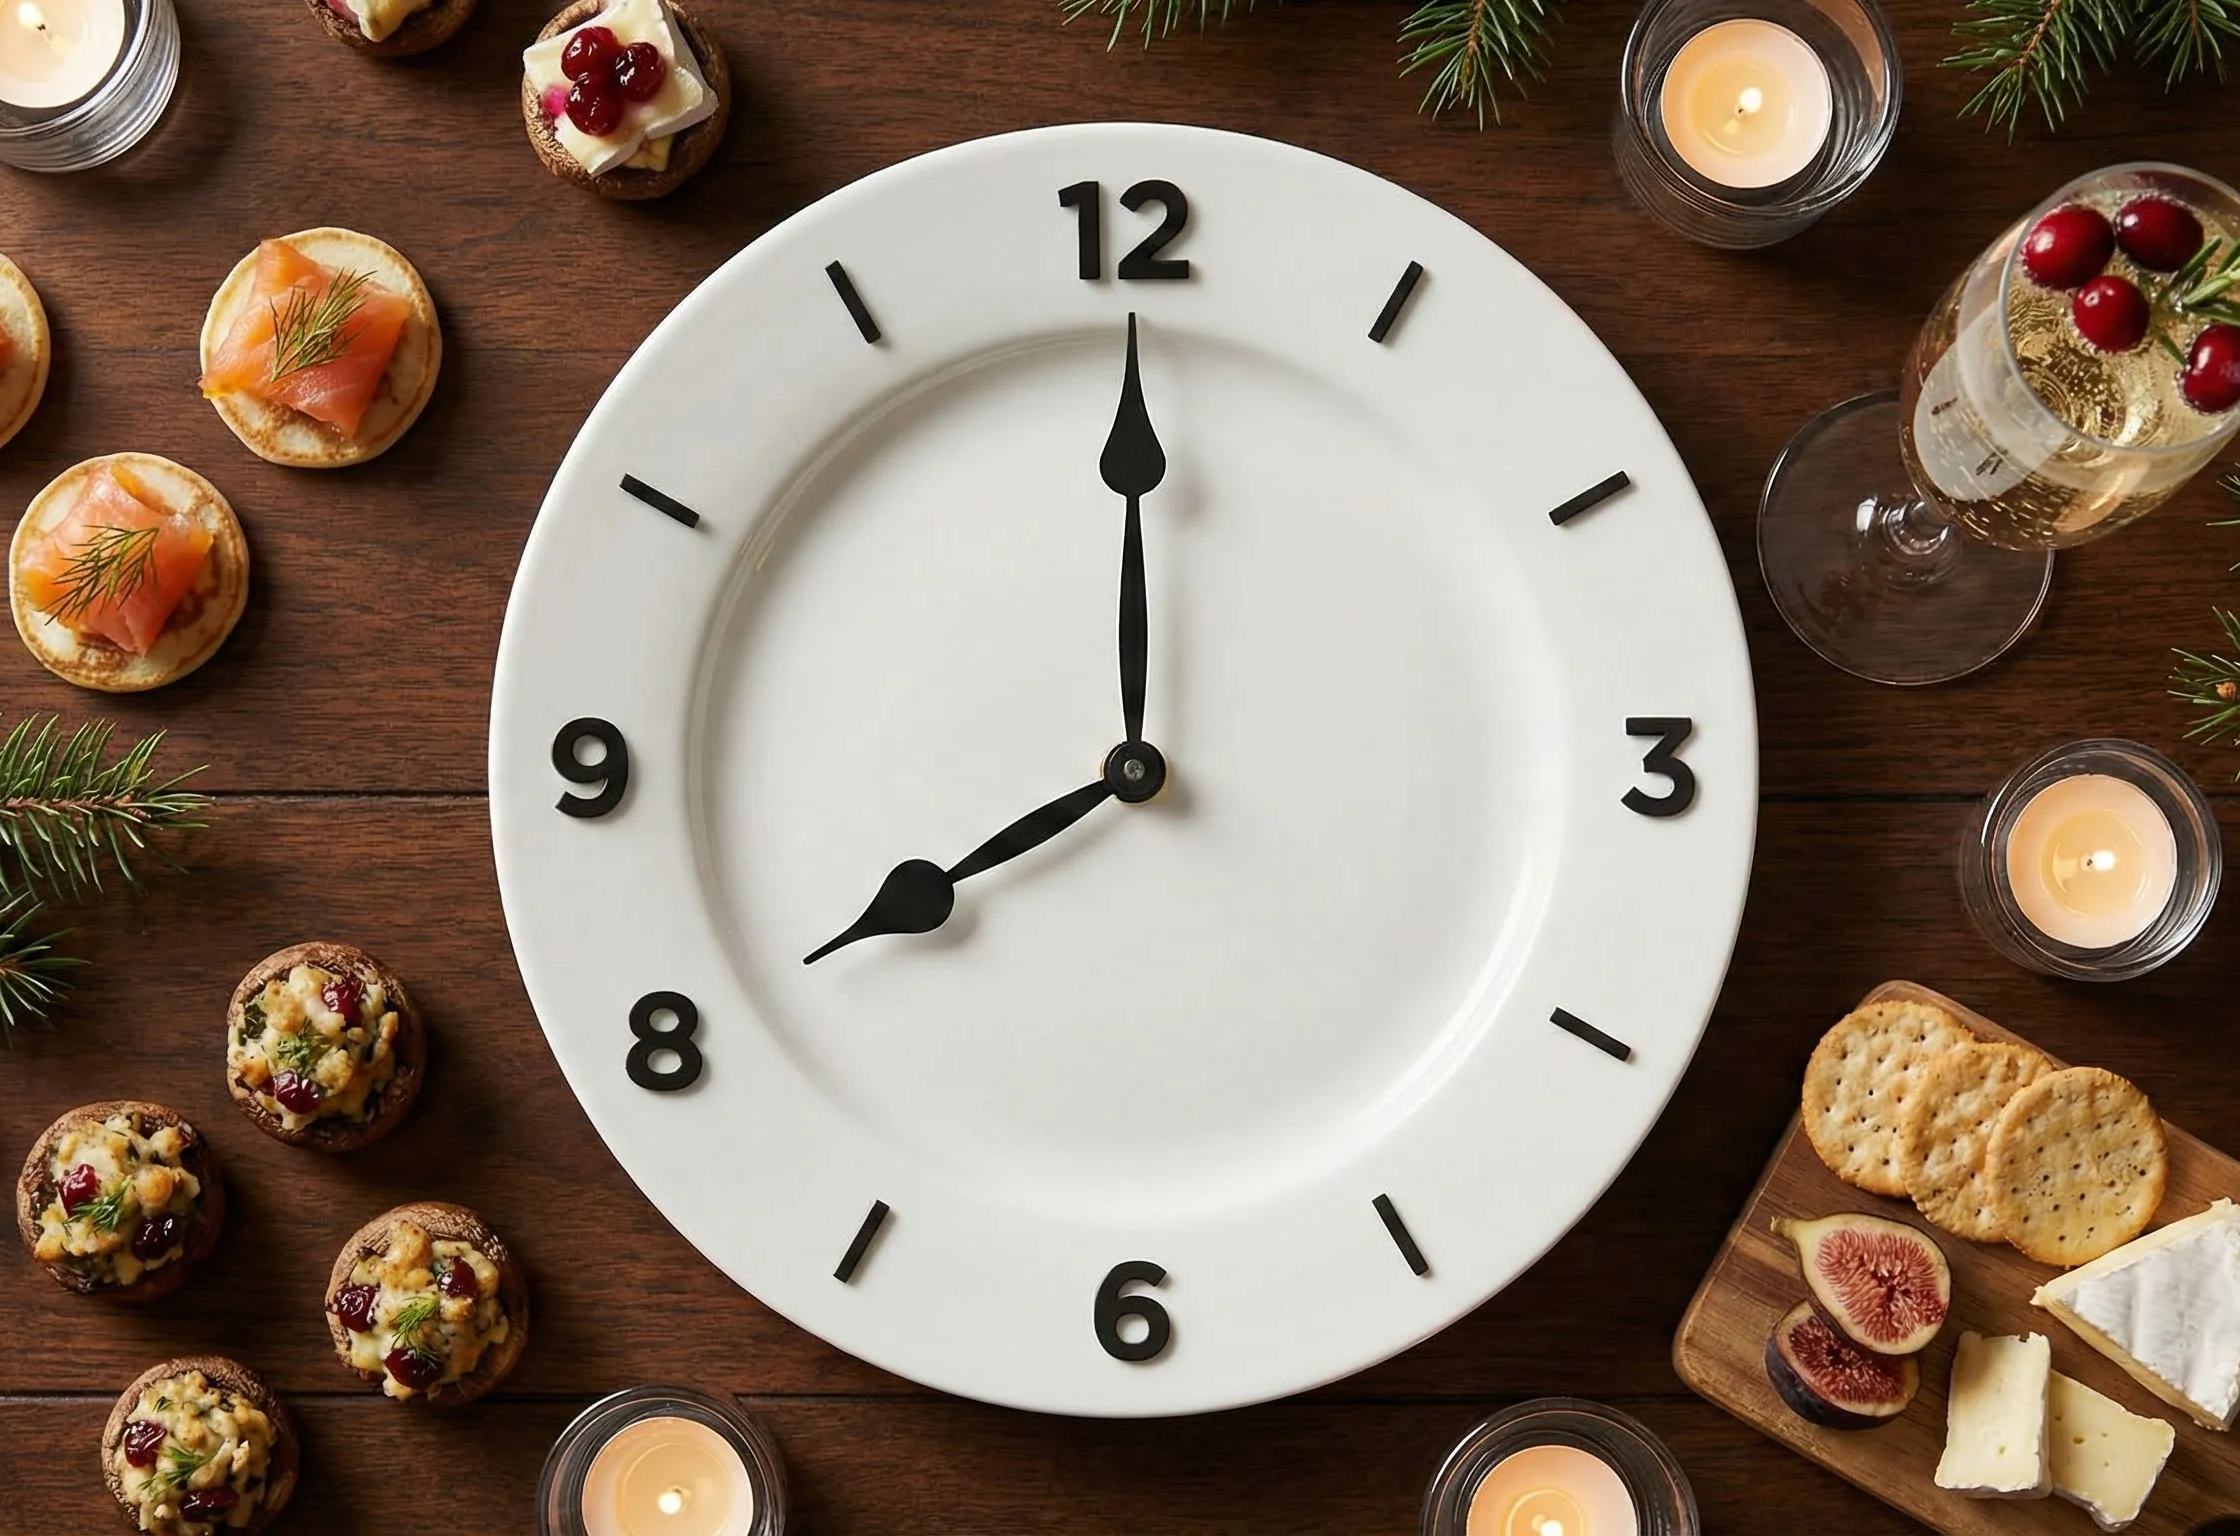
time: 8:00
